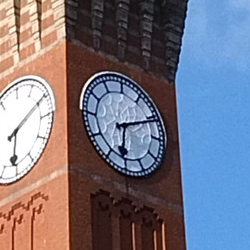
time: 6:11
